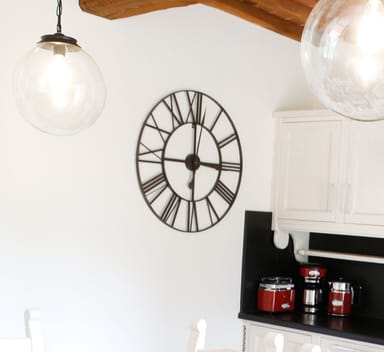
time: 2:59
